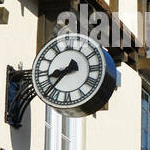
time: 8:37
